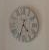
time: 4:33
